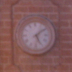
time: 5:08
